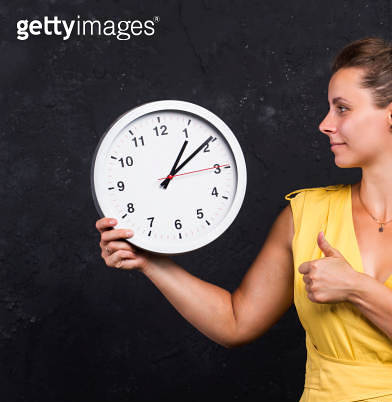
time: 1:09
